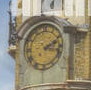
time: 2:17
